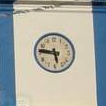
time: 5:46
